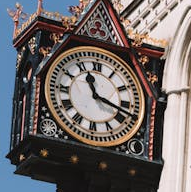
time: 11:17
